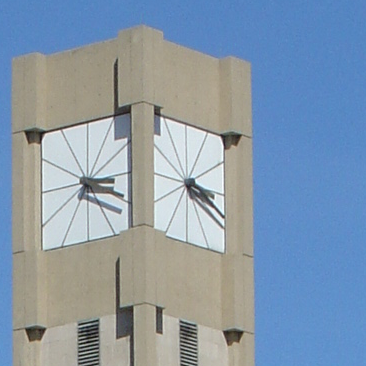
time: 3:18
